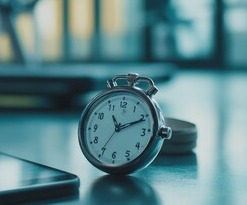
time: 11:11
